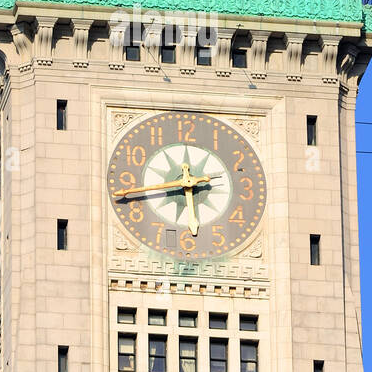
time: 2:42
